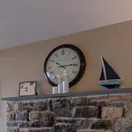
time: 10:14
